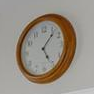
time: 5:06
